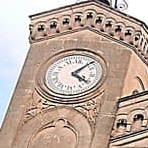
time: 4:07
